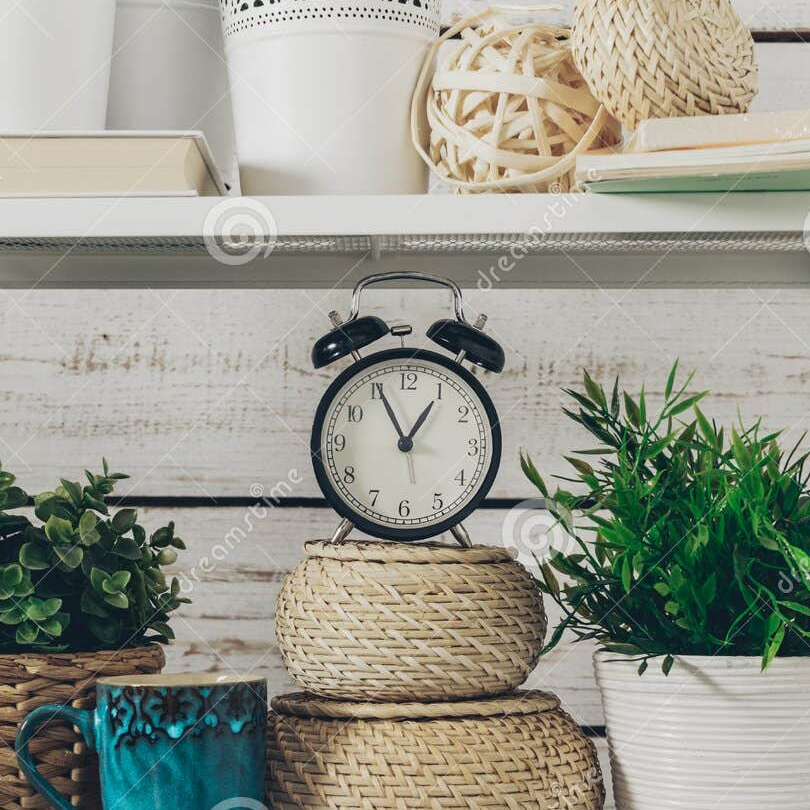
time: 12:55
